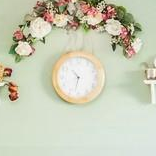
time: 10:32
